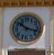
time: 10:17
